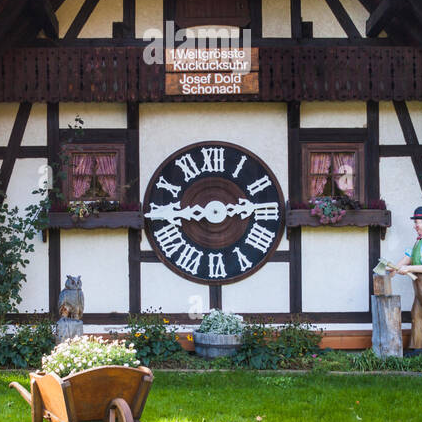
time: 2:43
